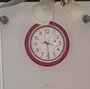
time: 3:29
